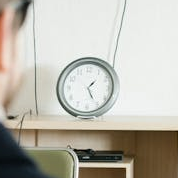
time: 1:25
